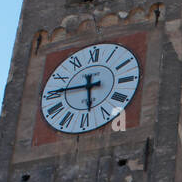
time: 5:45
